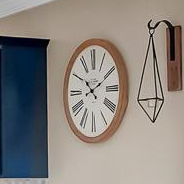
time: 10:10
